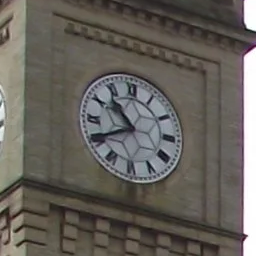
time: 10:40
